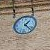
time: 1:22
